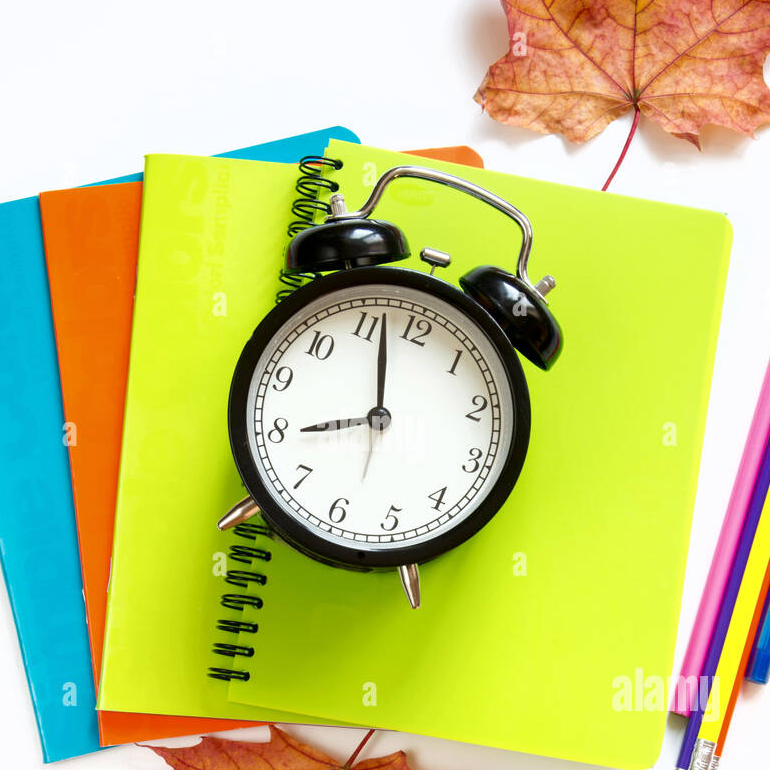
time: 7:57
